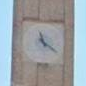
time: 11:21
